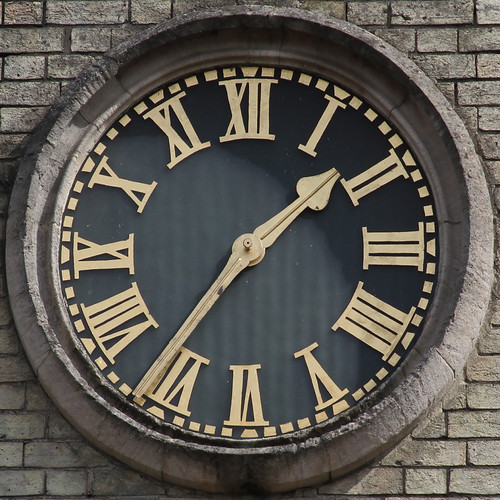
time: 1:36
